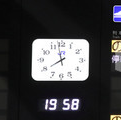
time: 7:58
